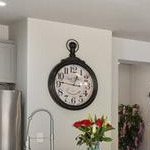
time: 12:46
